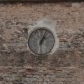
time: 1:02
